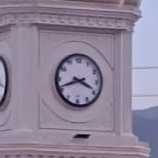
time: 3:41
